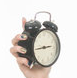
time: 2:43
